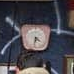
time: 4:32
